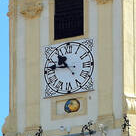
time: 10:46
